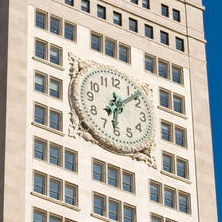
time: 6:08
